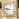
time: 8:47
